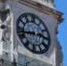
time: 2:42
